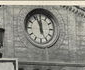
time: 11:56
